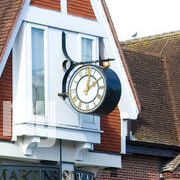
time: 2:02
